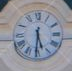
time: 5:30
